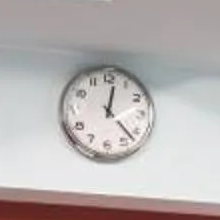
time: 12:22
